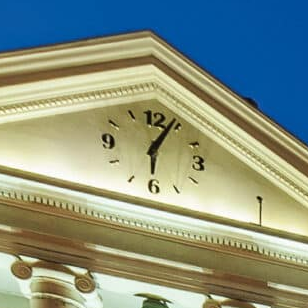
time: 6:03
